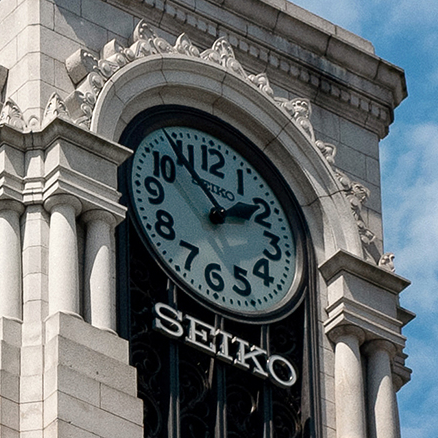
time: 1:53
